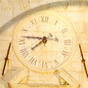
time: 7:46
